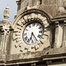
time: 6:23
